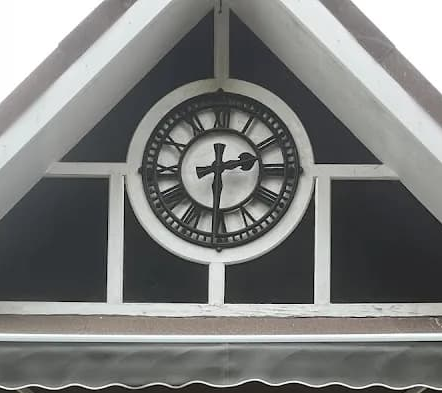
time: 2:30
